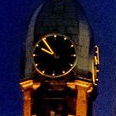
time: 9:53
